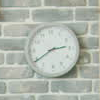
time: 2:39
